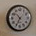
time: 10:34
